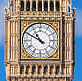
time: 10:49
